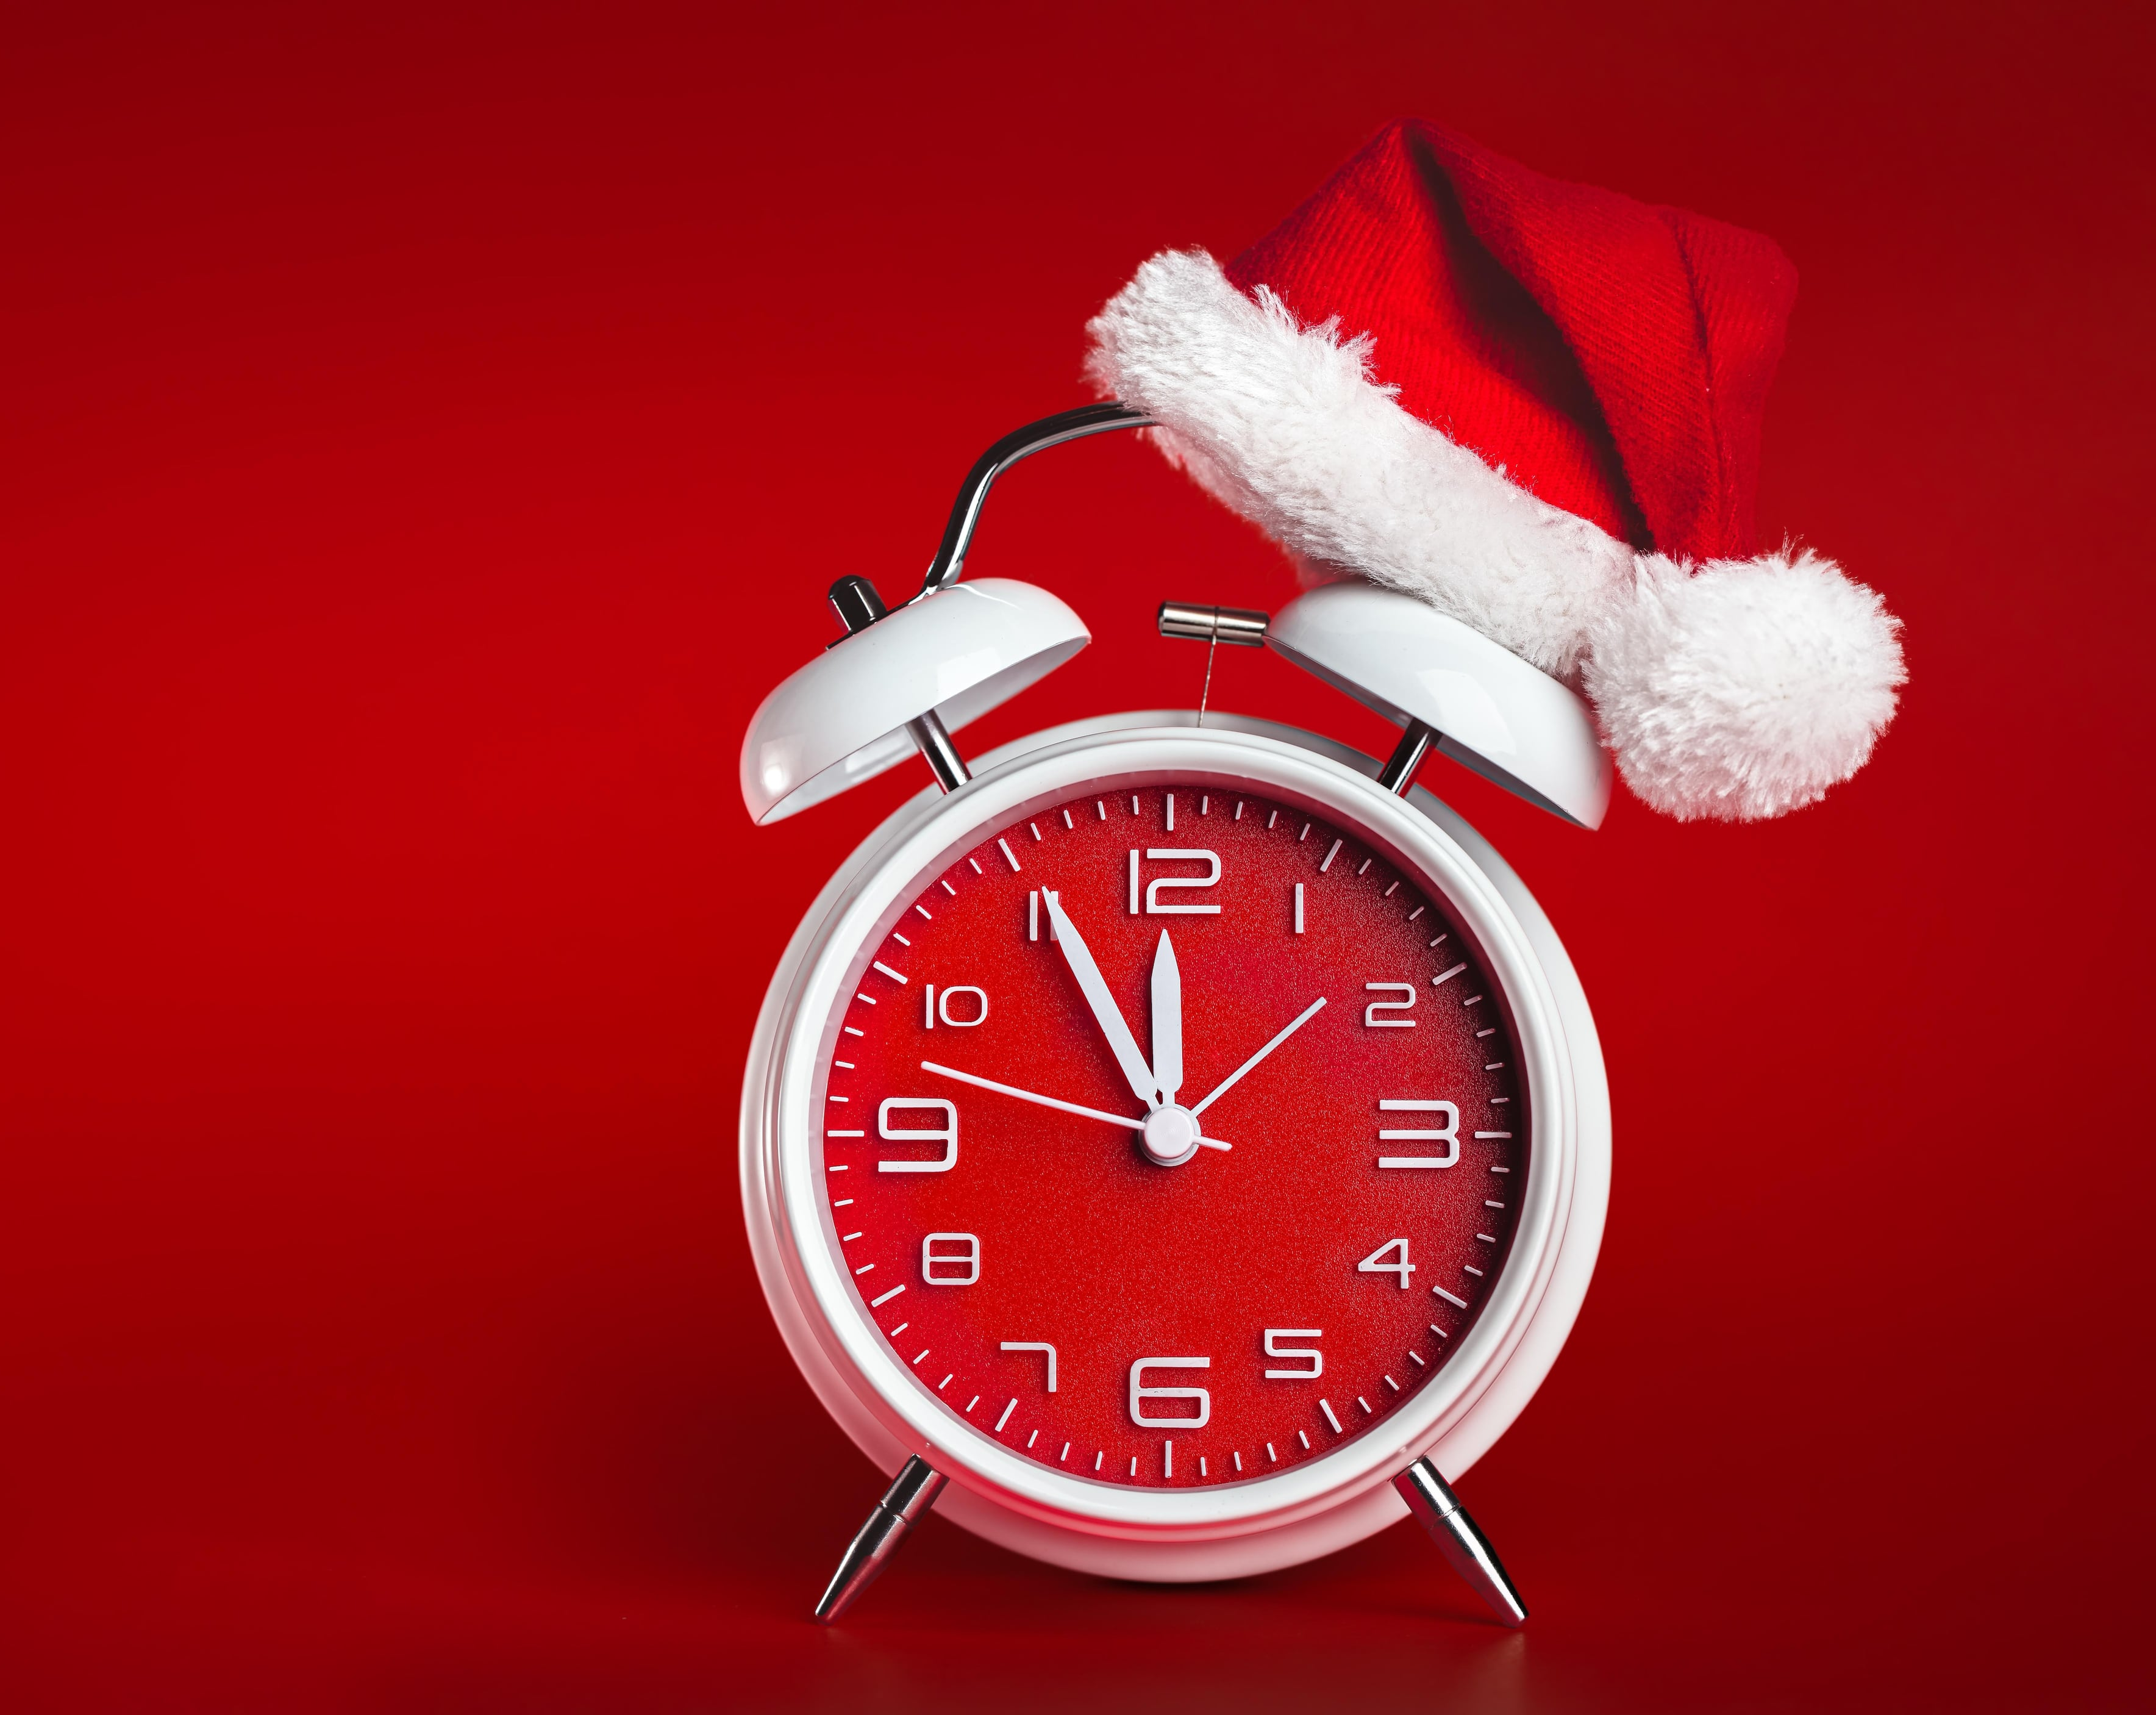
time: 11:55
